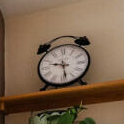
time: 9:28
